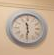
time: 11:30
